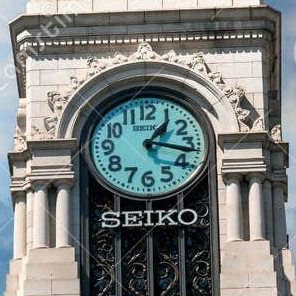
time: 1:16
